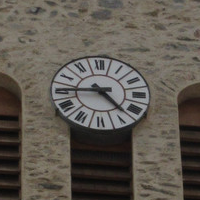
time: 4:44
